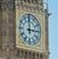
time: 2:59
